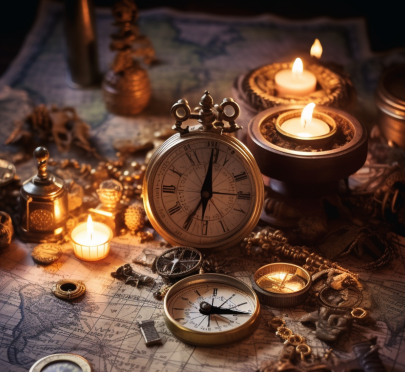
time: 7:01
